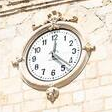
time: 12:22
